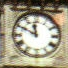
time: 11:49
